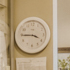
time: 3:44
